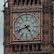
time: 4:41
